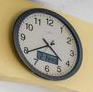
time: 4:39
